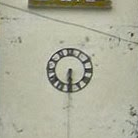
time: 6:29
